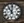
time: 11:01
